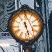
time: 5:27
